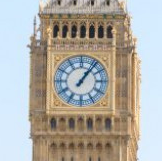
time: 1:06
